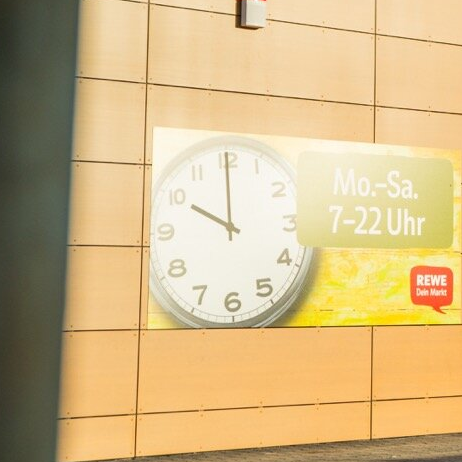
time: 10:00
